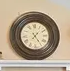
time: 1:24
